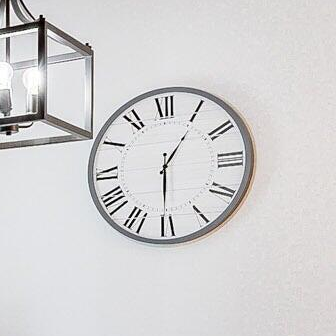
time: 6:05
